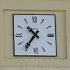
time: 10:35
